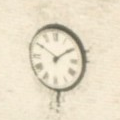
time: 1:50
